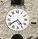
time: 4:39
